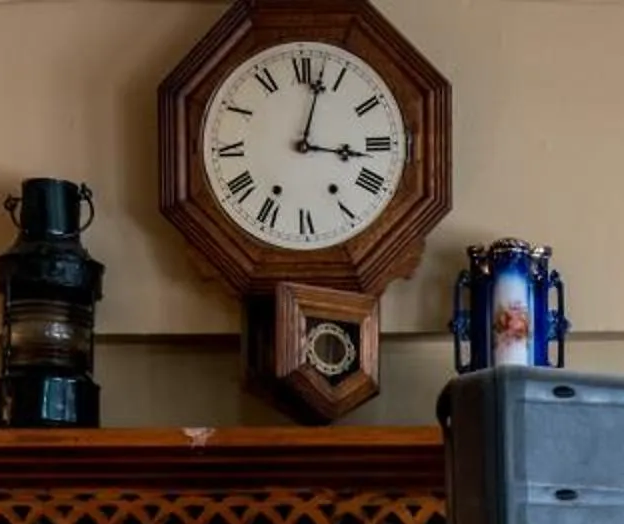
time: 3:02
